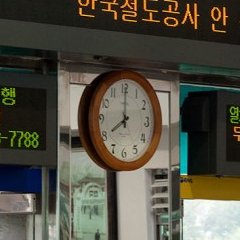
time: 8:00
